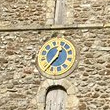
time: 12:37
